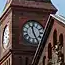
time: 11:25
